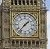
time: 1:36
